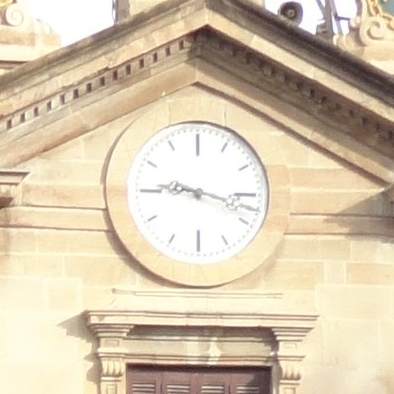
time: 9:17
